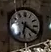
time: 6:20
